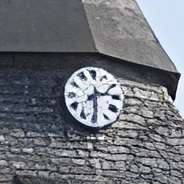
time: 2:29
